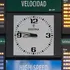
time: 8:46
